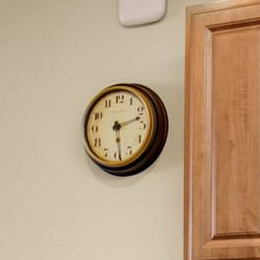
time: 2:28
